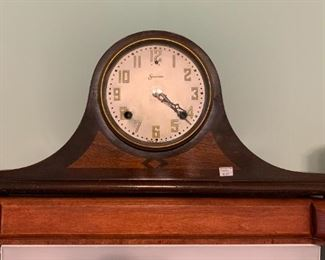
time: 4:21
